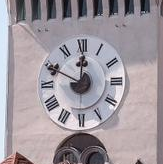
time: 11:49
